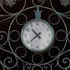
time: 10:38
